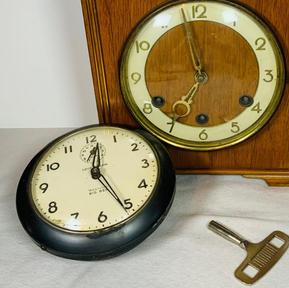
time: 12:25
